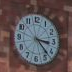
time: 3:22
